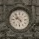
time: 9:53
